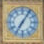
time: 7:05
